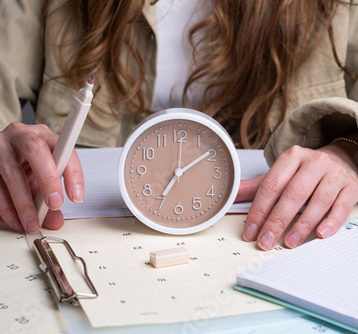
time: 7:09
